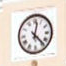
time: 12:23
